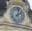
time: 2:02
